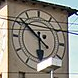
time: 5:51
